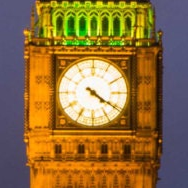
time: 4:20
